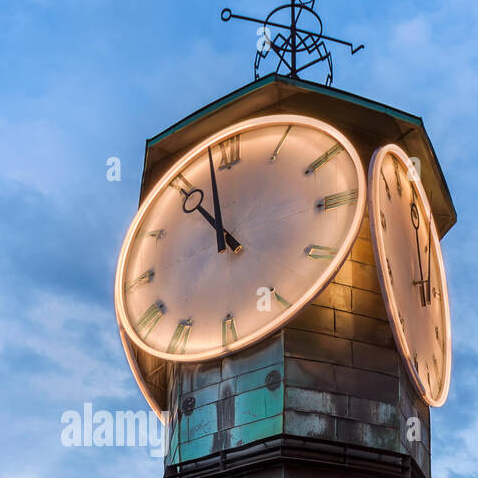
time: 10:58
